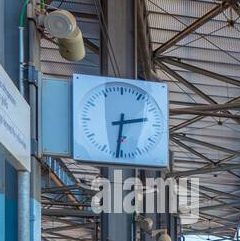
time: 2:31
